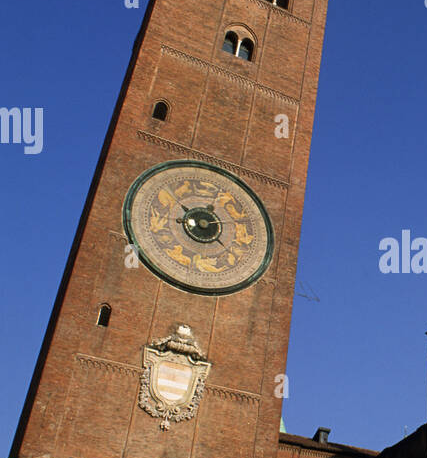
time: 8:52
